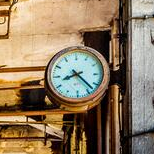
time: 8:22
